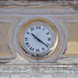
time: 10:20
